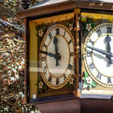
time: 11:47
